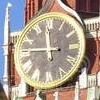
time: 11:46
